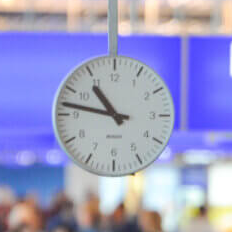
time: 10:46
